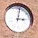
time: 3:02
